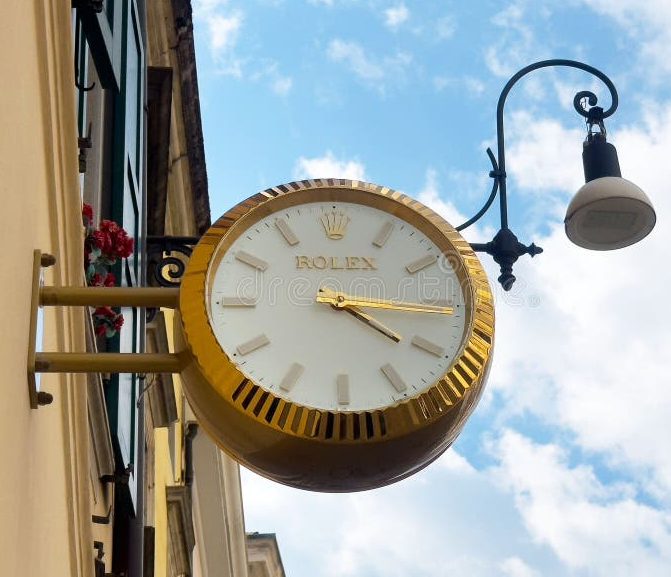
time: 4:15
